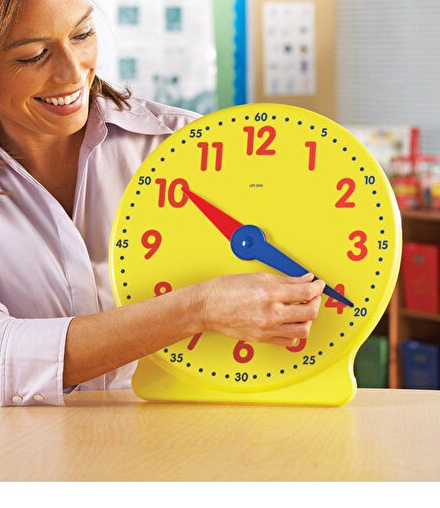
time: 10:19
